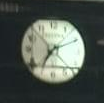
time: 7:10
